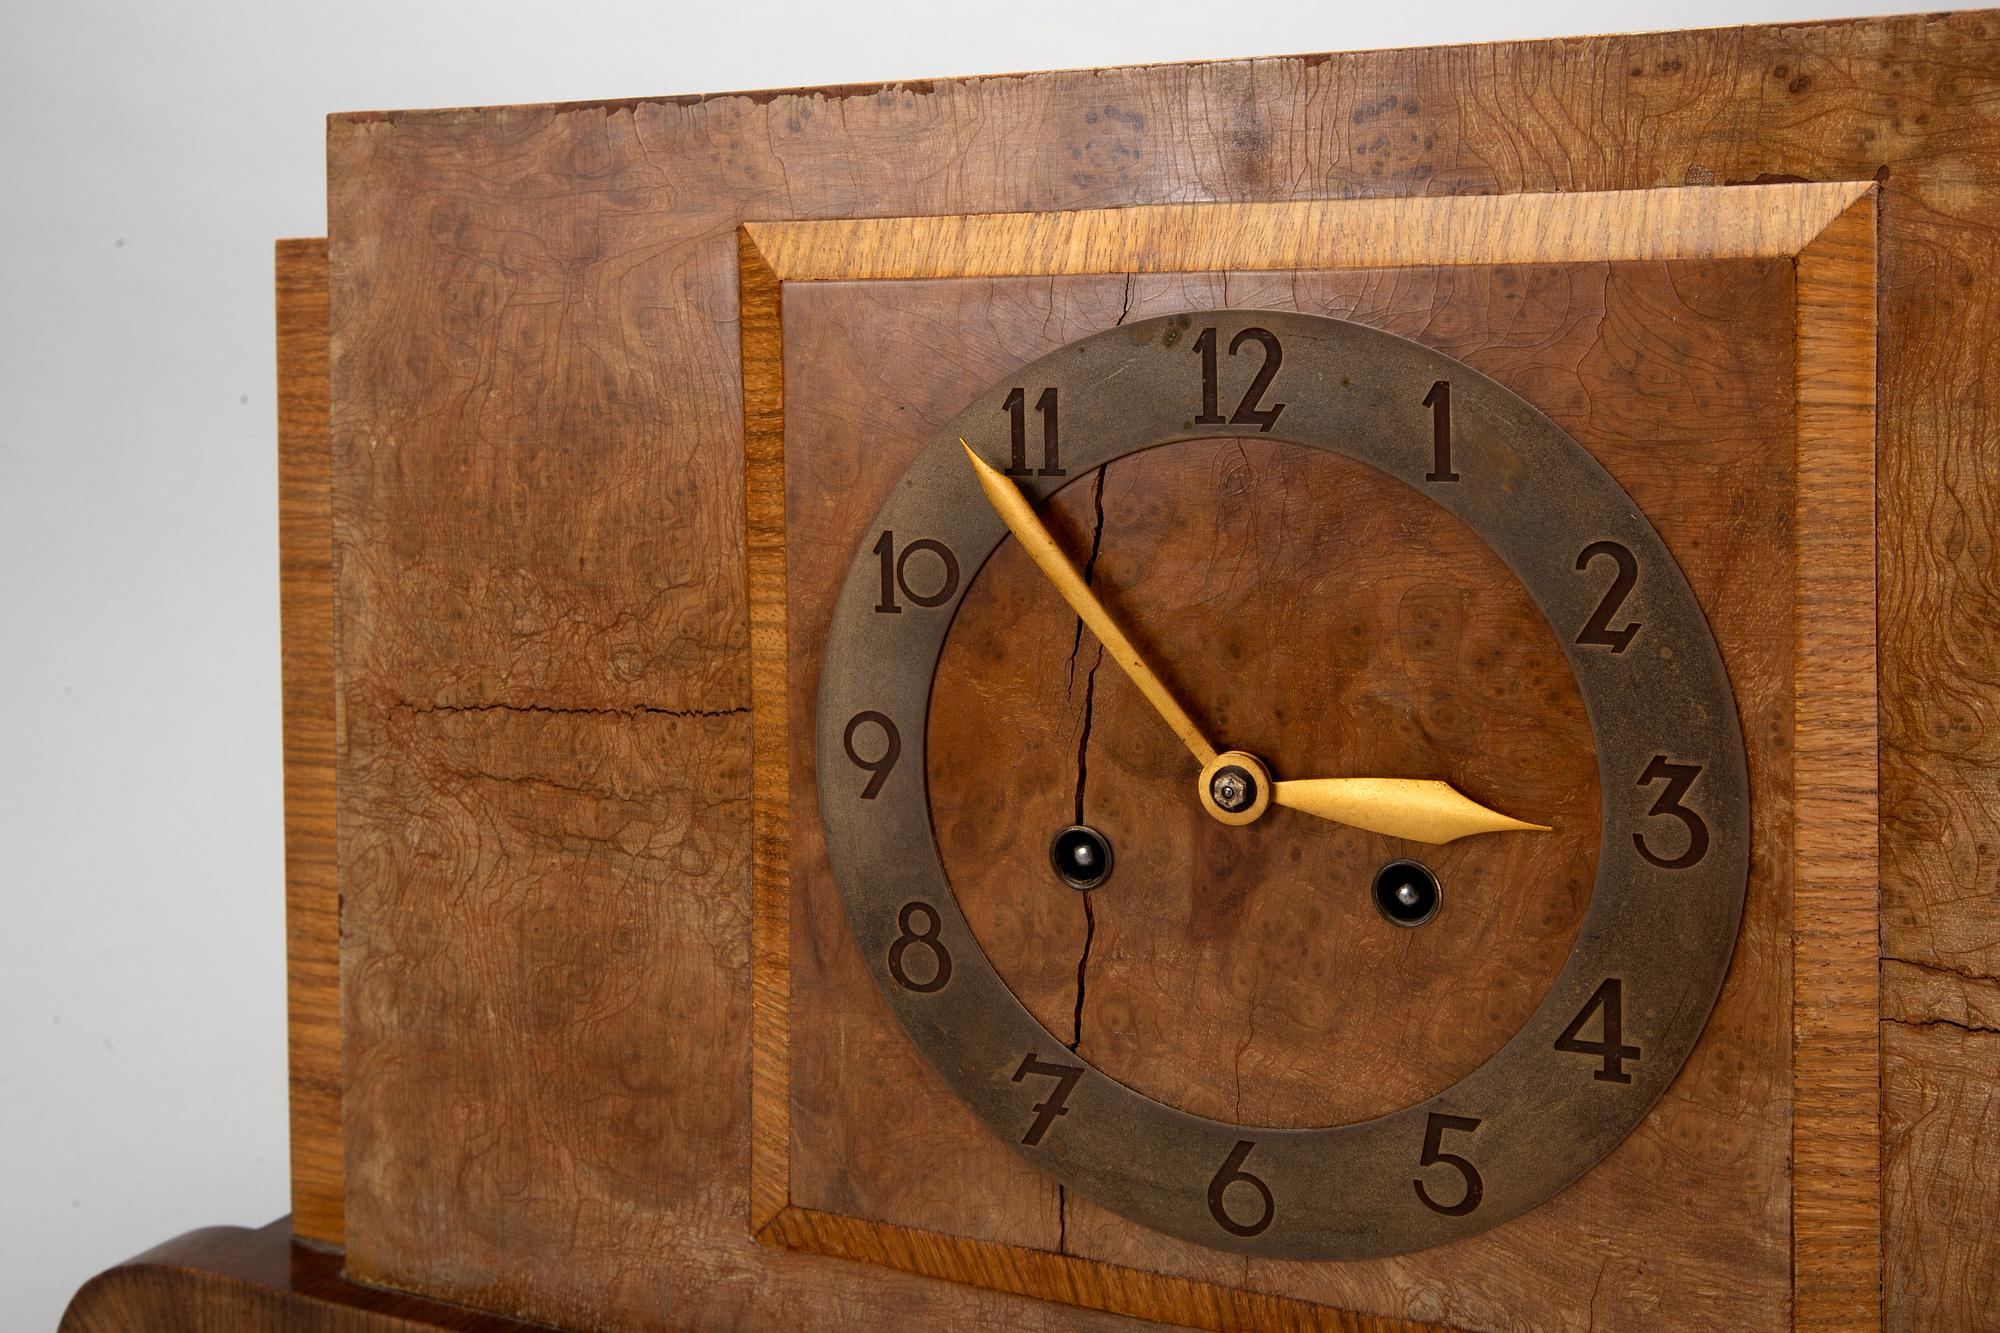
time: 2:53
